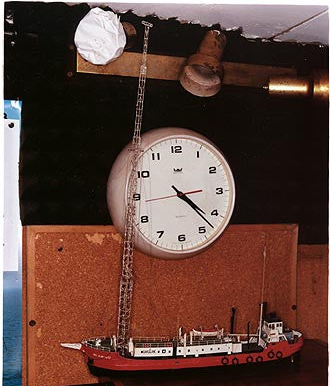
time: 4:22
